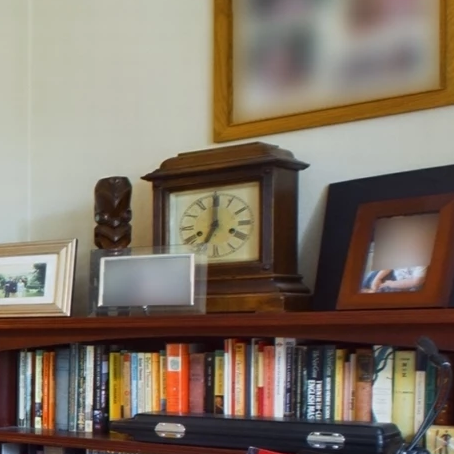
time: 7:00
